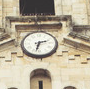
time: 2:32
